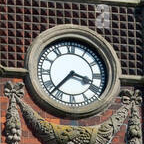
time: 3:37
